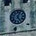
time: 5:03
